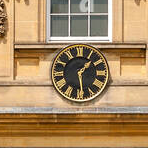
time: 1:28
